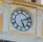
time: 5:11
